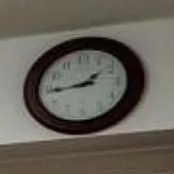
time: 1:44
